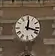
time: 12:17
